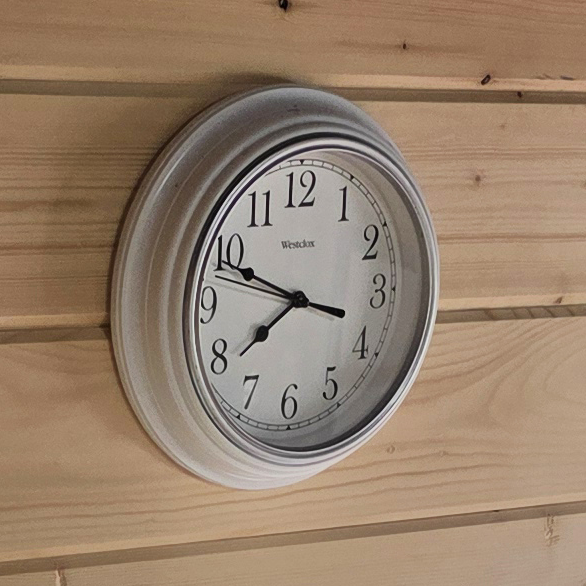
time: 7:48
